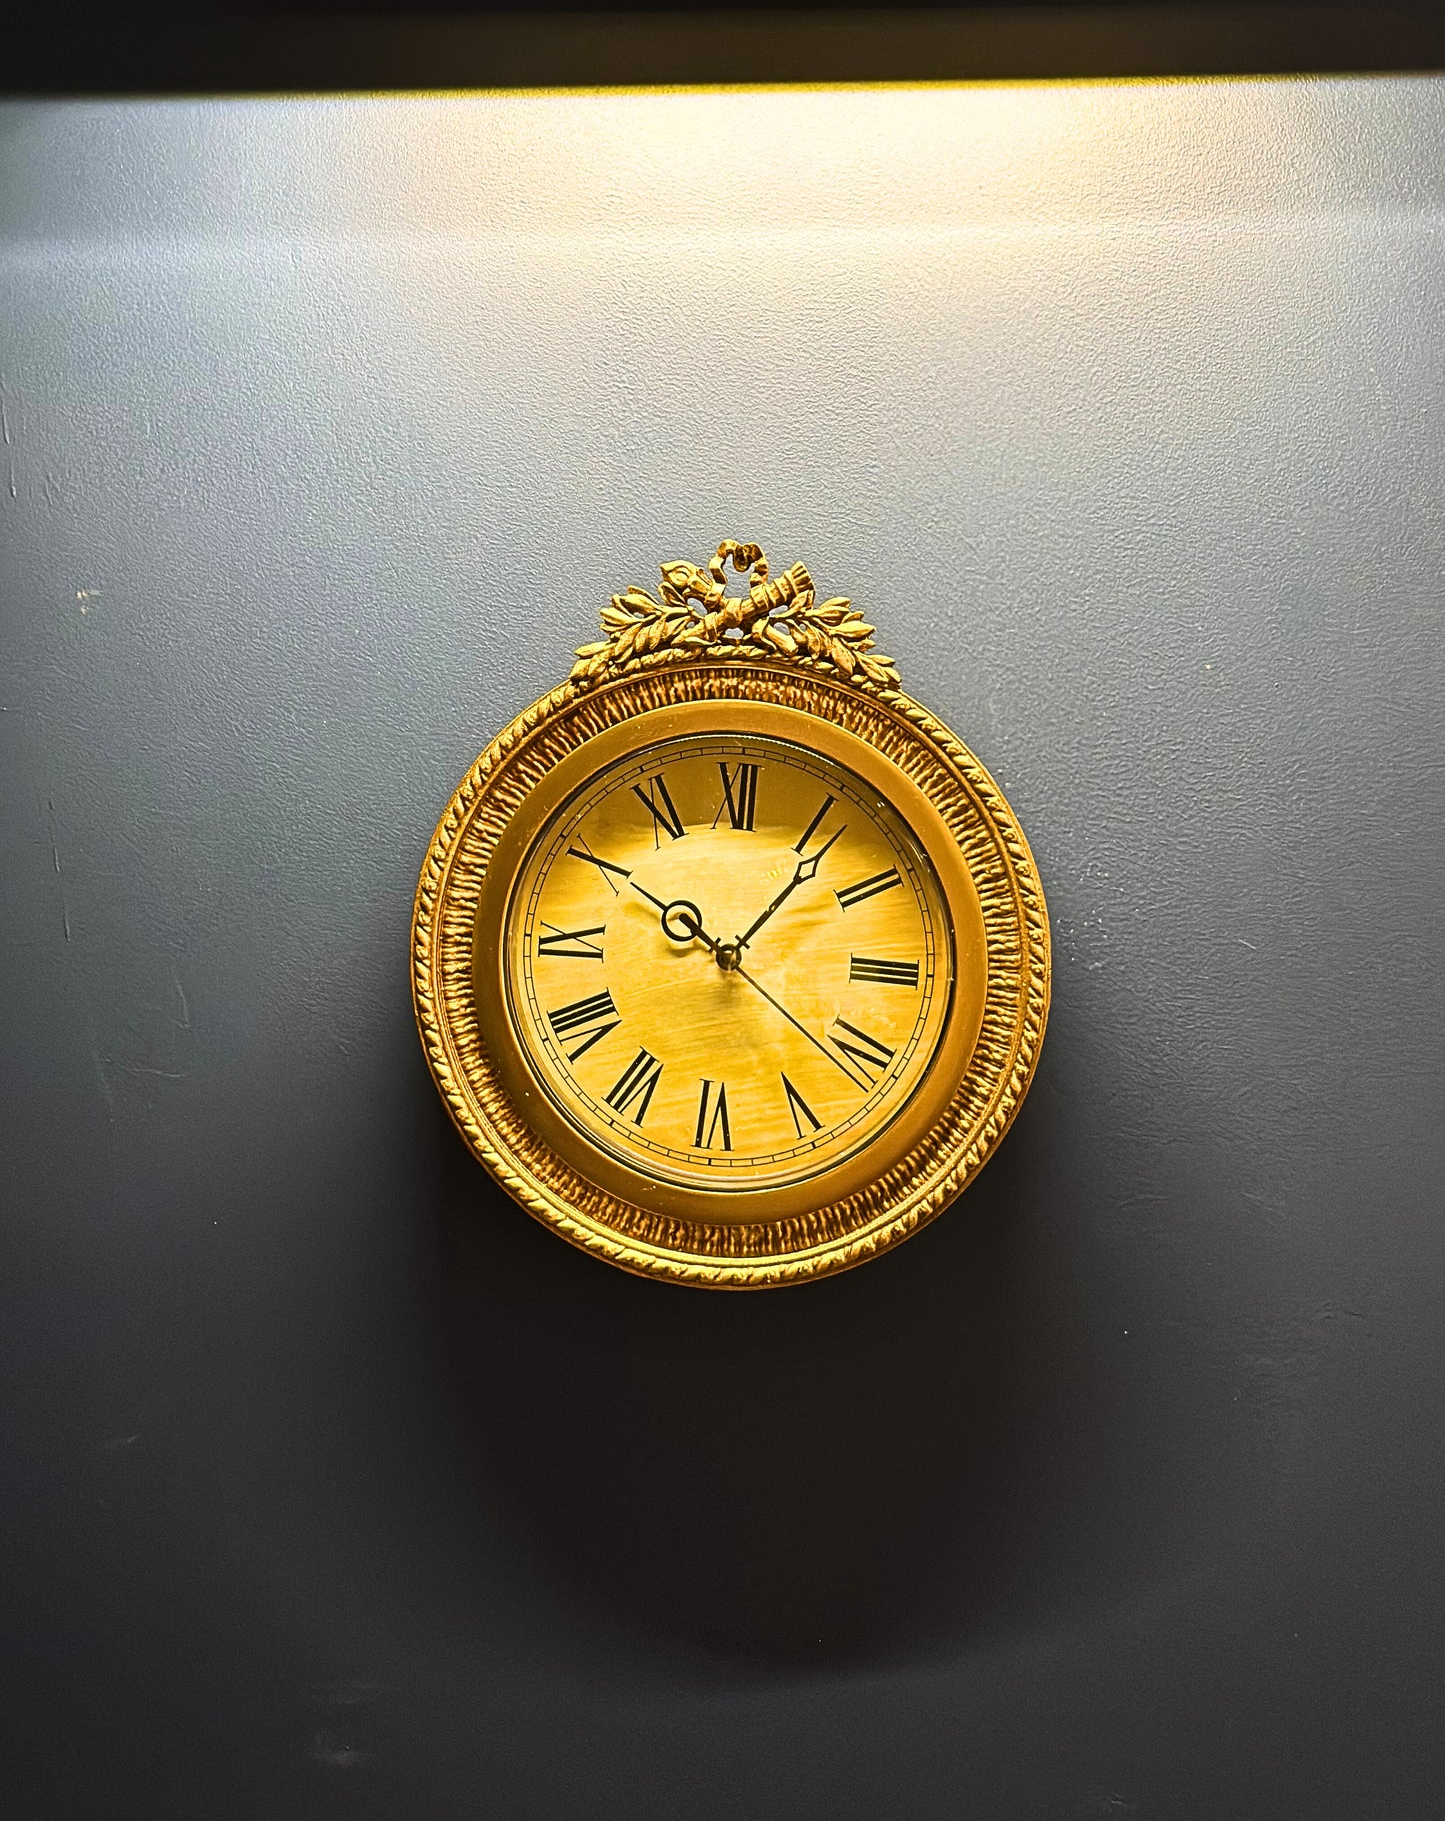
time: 10:06
